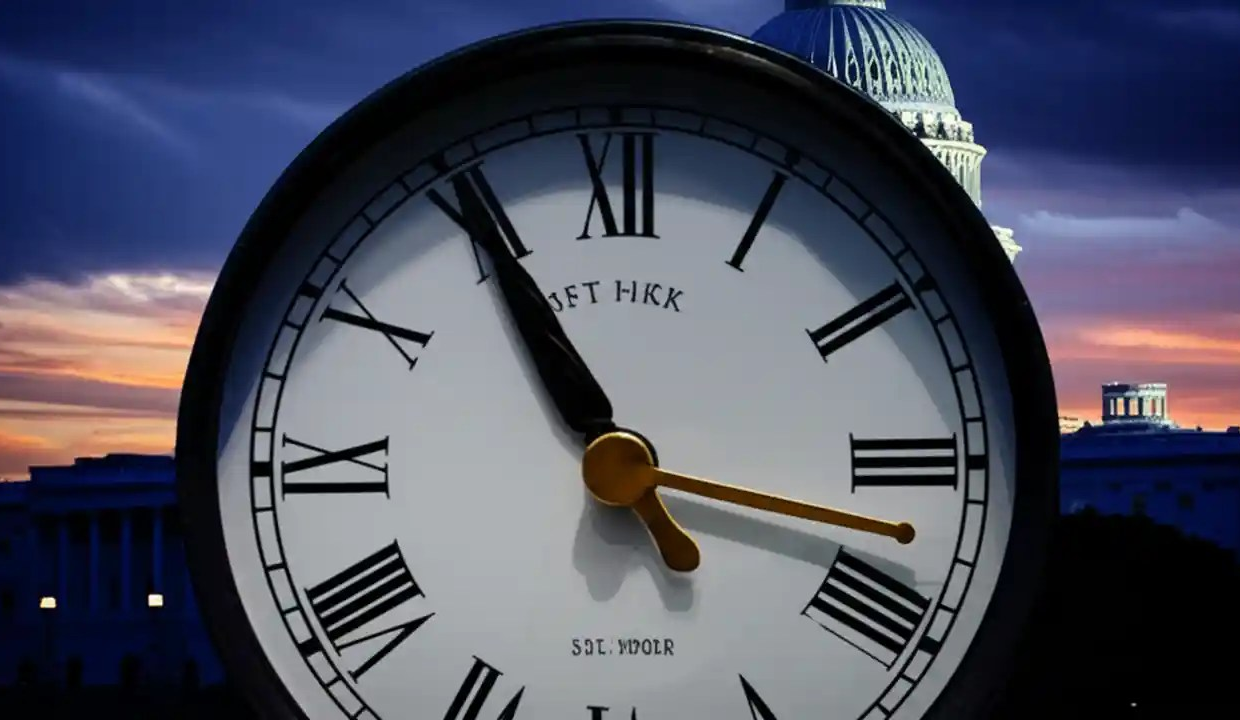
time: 10:55
